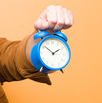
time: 1:51
